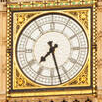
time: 7:27
